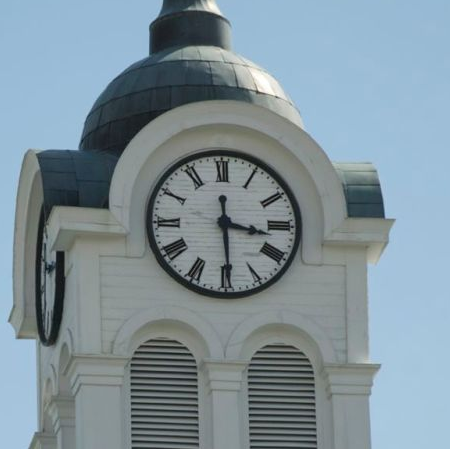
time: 3:29
